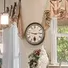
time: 6:14
